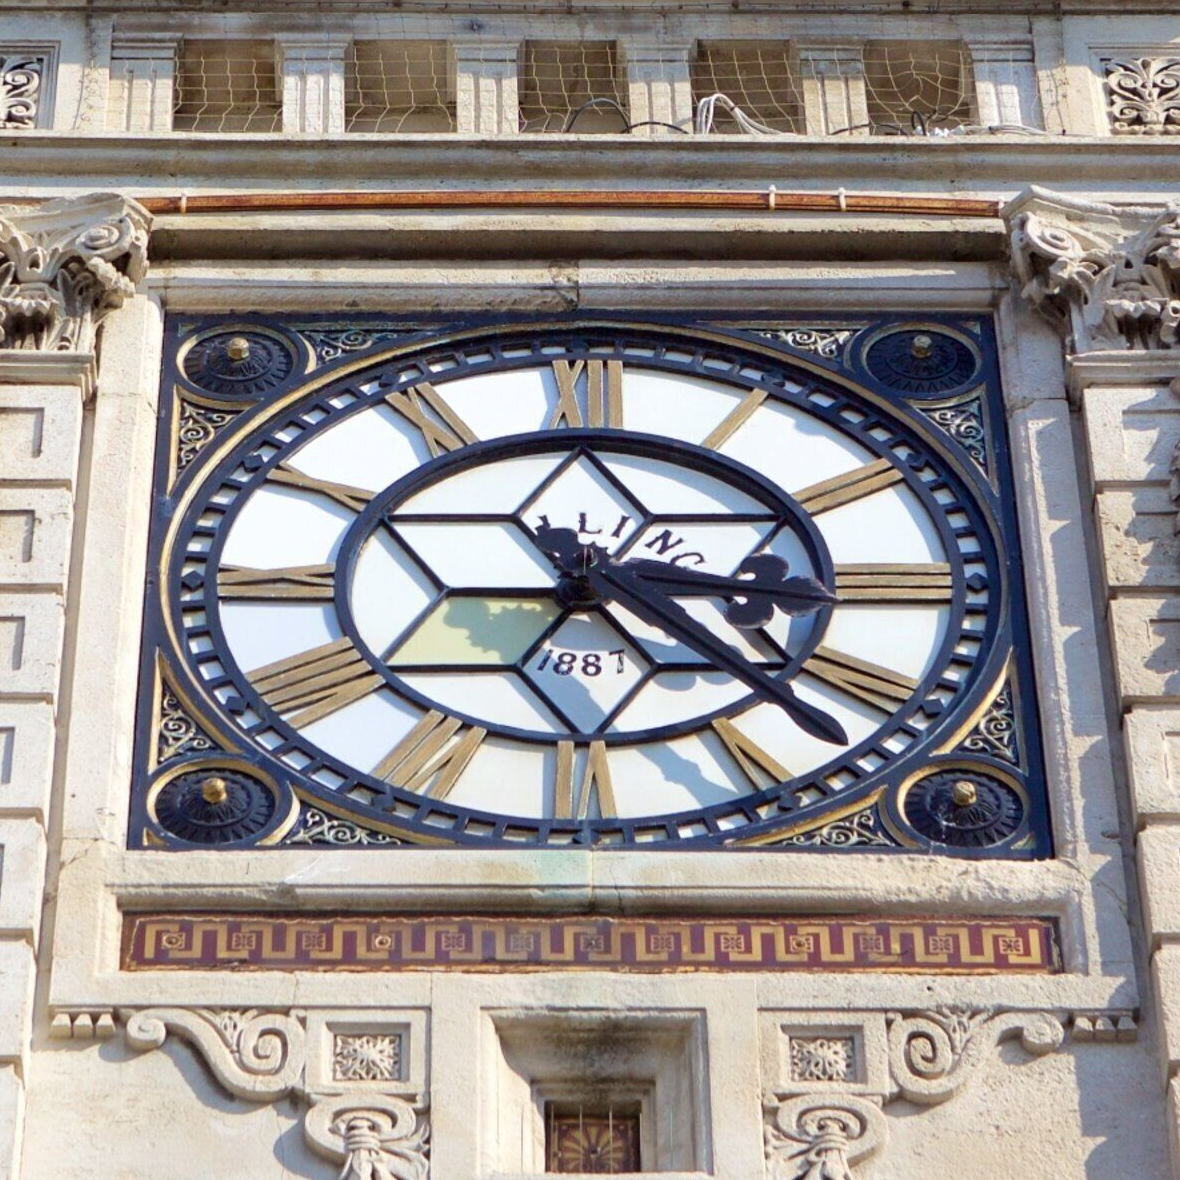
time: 3:23
